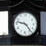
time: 9:23
